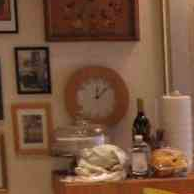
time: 12:07
